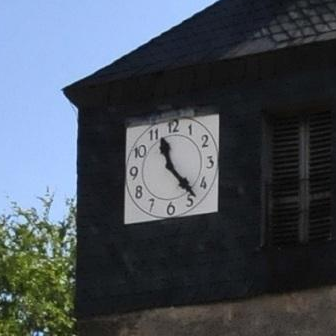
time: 11:23
